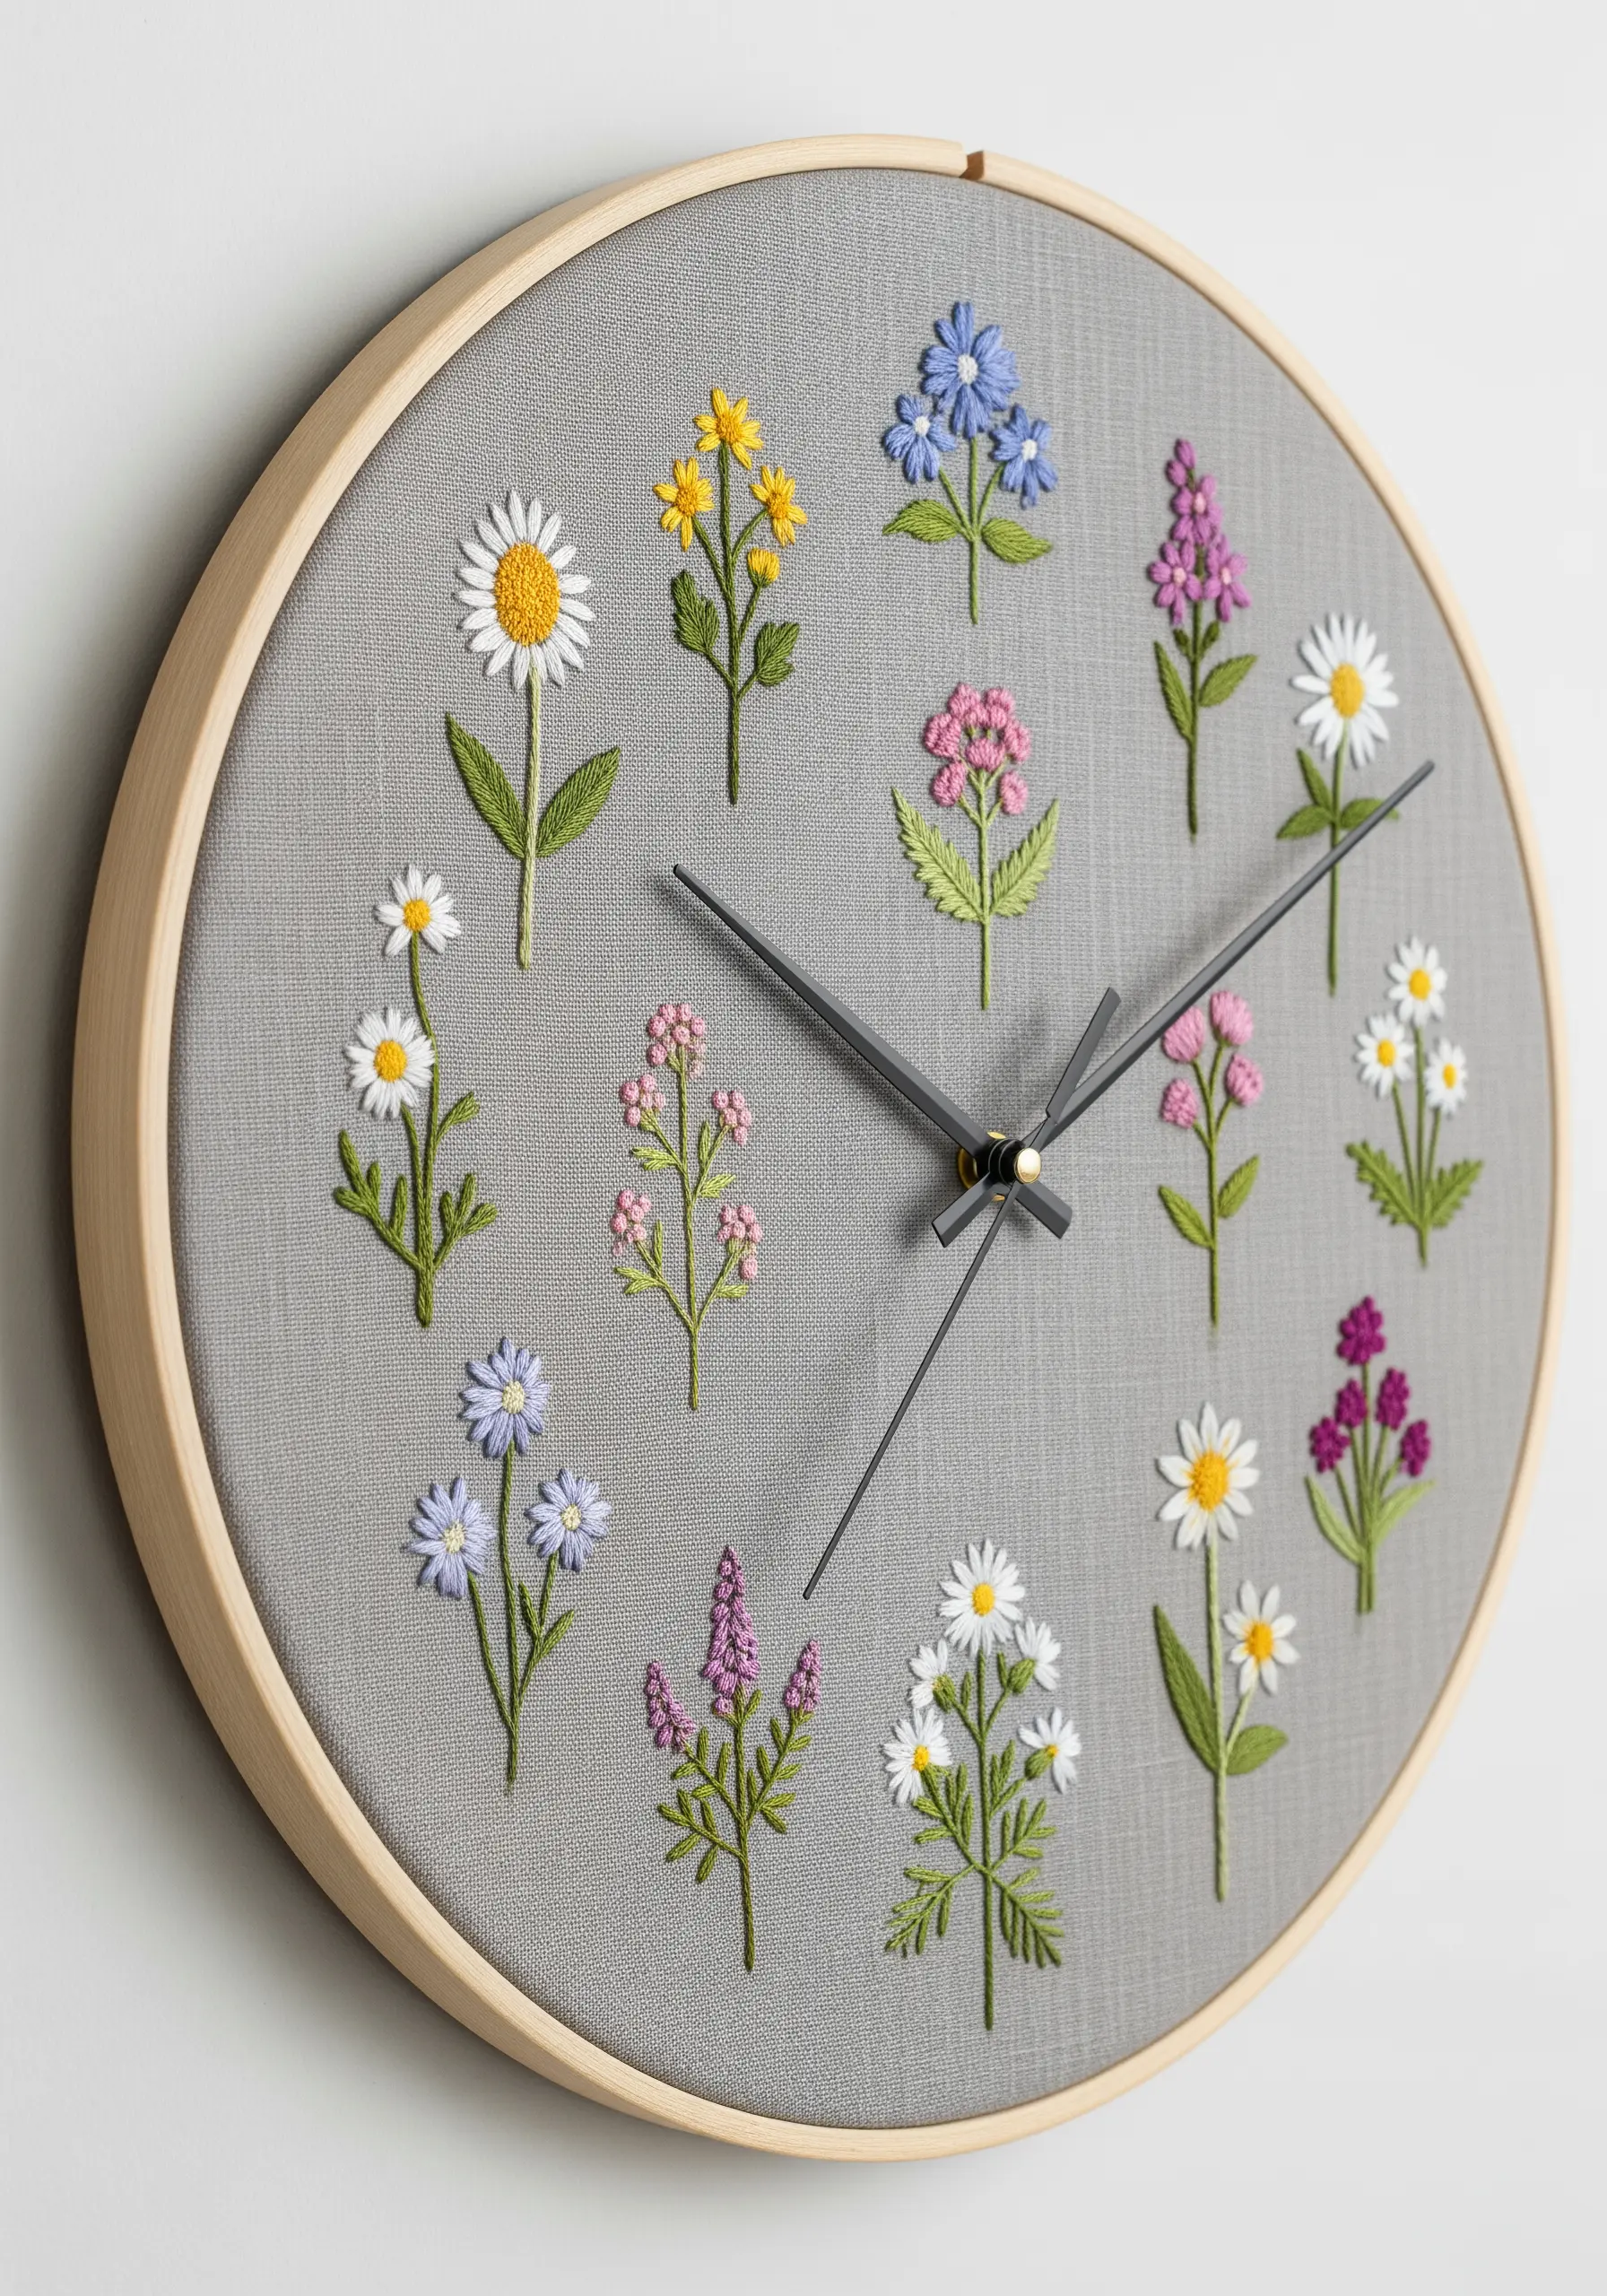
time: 1:50
